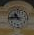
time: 10:45
